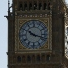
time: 10:17
